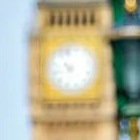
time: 10:42
